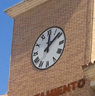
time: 12:08
